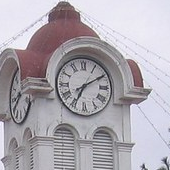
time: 7:09
